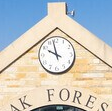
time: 9:57
